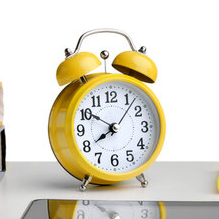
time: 7:50
